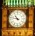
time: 10:47
